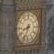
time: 8:33
